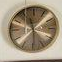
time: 11:29
